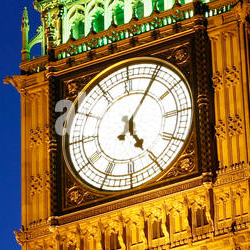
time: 5:05
